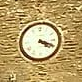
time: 4:18
